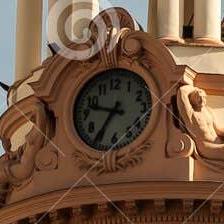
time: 9:35
